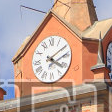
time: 4:09
